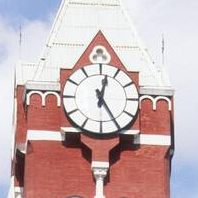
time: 12:24
